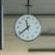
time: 11:38
